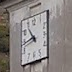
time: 10:43
